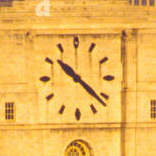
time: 10:21
